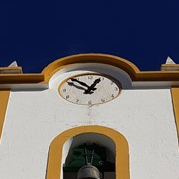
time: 12:52
